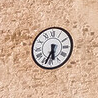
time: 5:33
